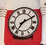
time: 7:10
